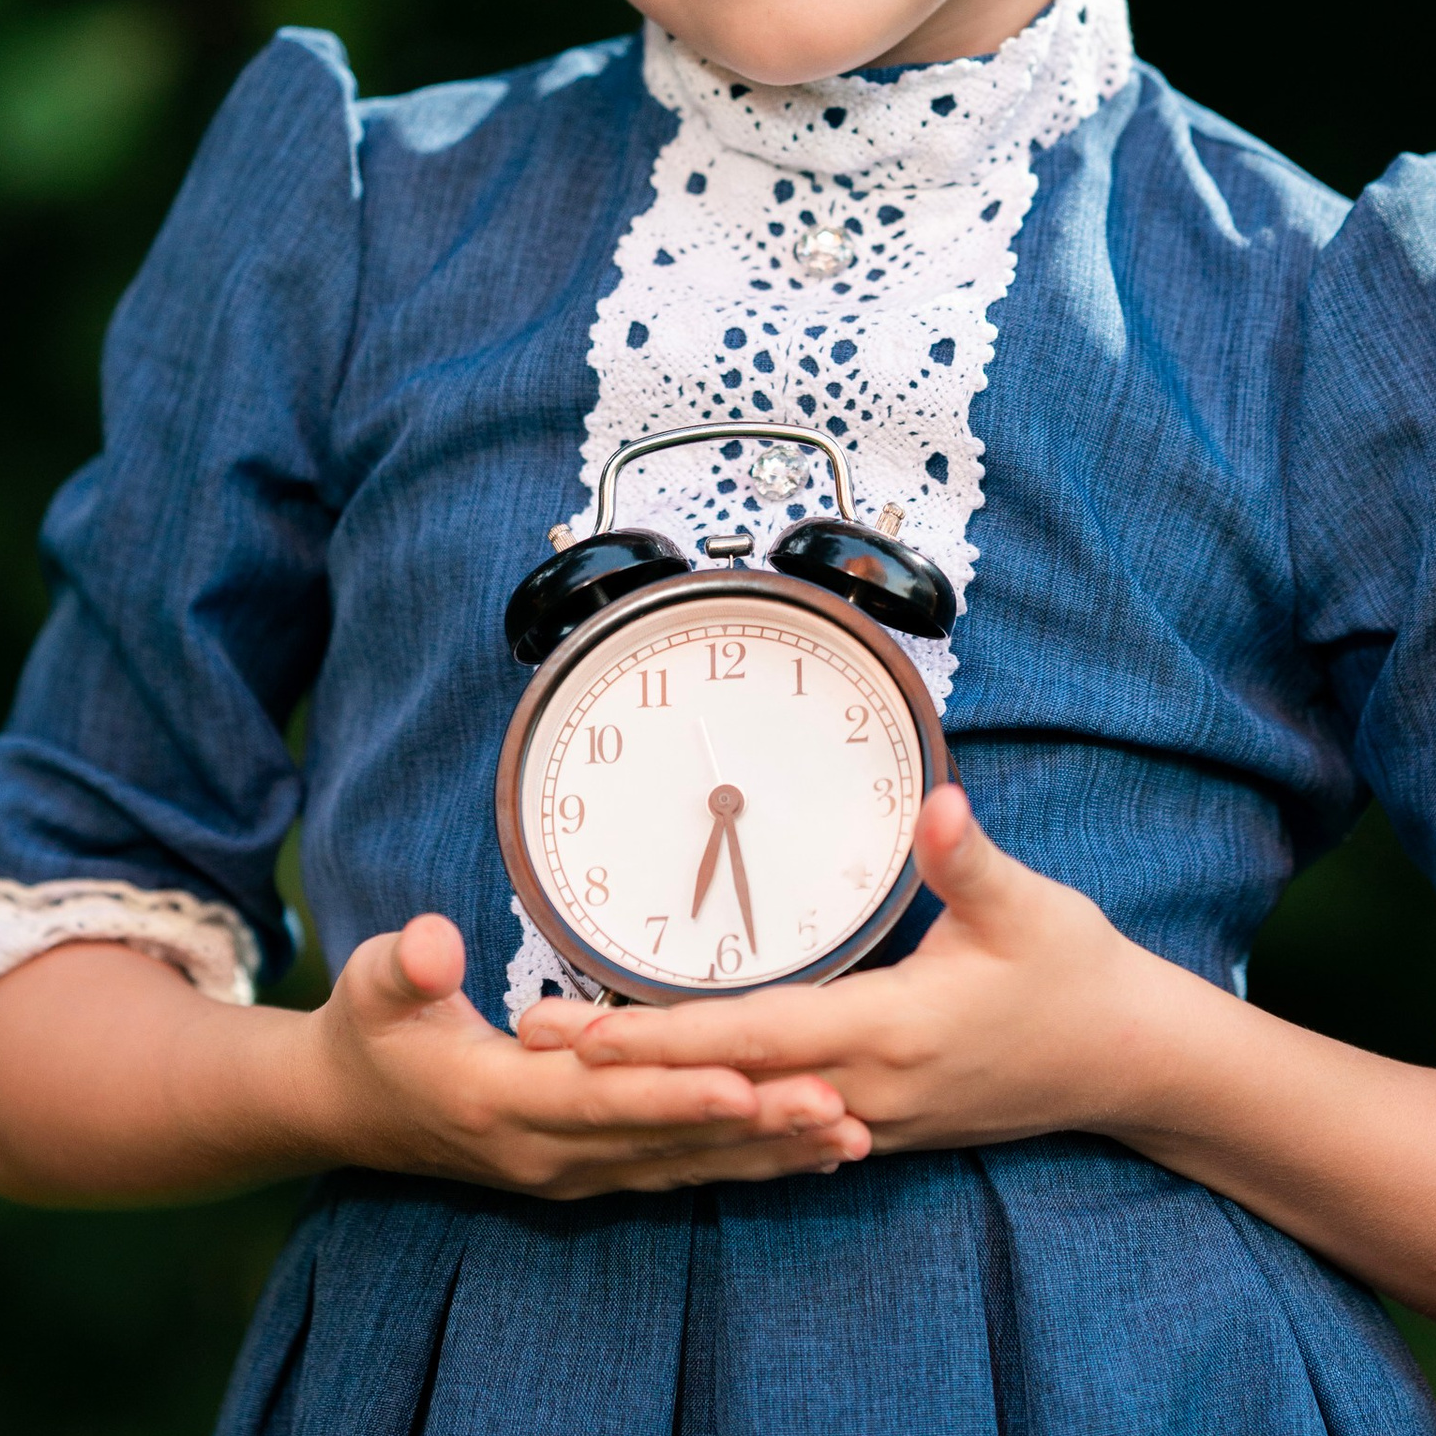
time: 6:28
